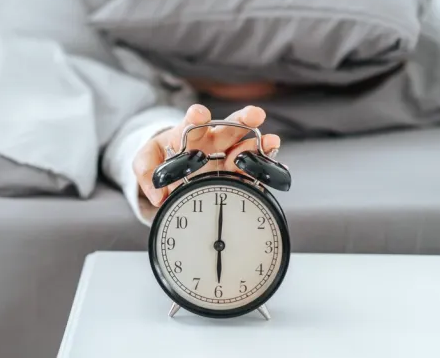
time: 6:00
